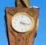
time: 4:17
